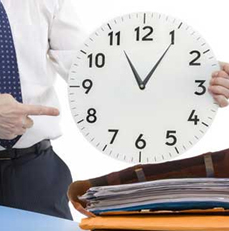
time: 11:05
